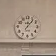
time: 12:06
